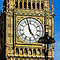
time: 4:57
